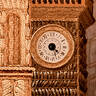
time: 4:27
